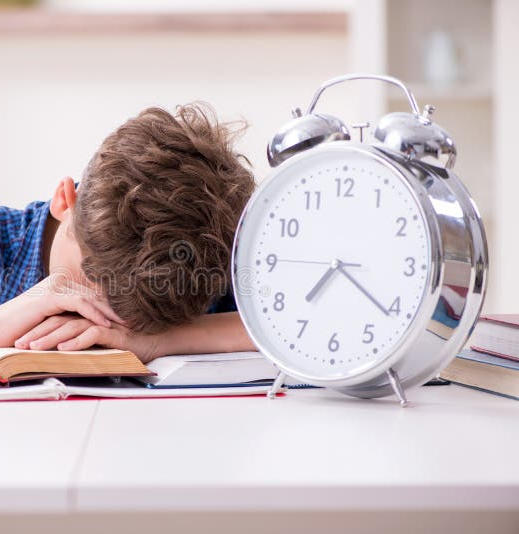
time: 7:21
